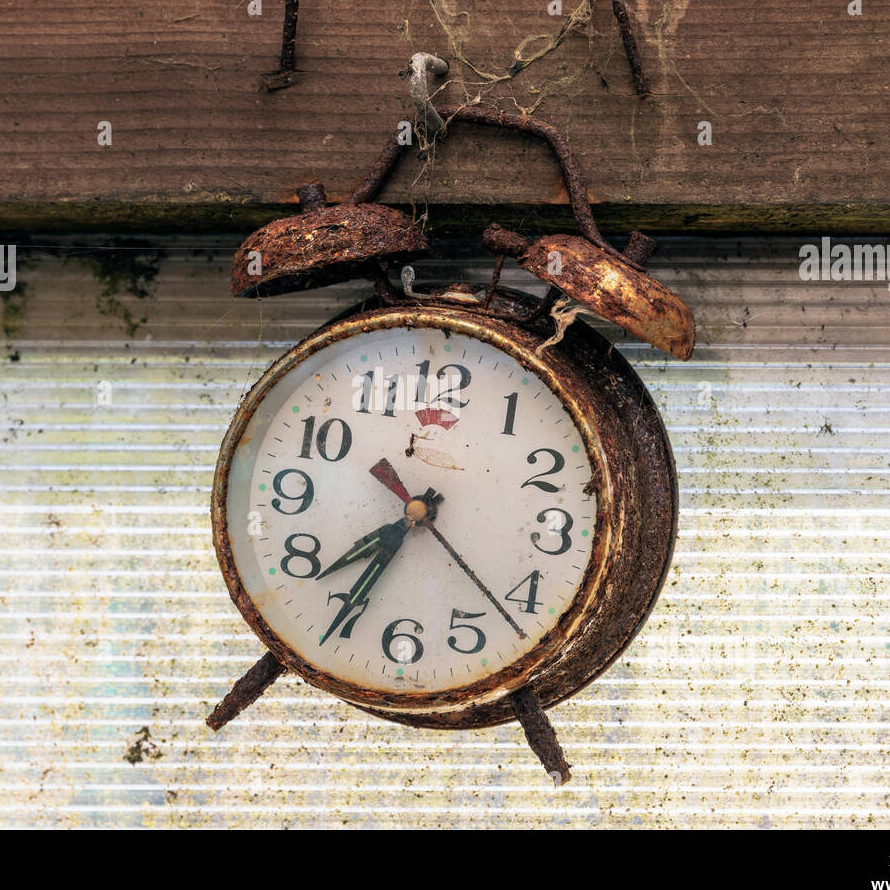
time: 7:34
